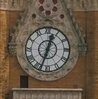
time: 12:33
